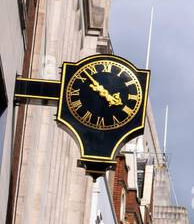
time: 3:52
